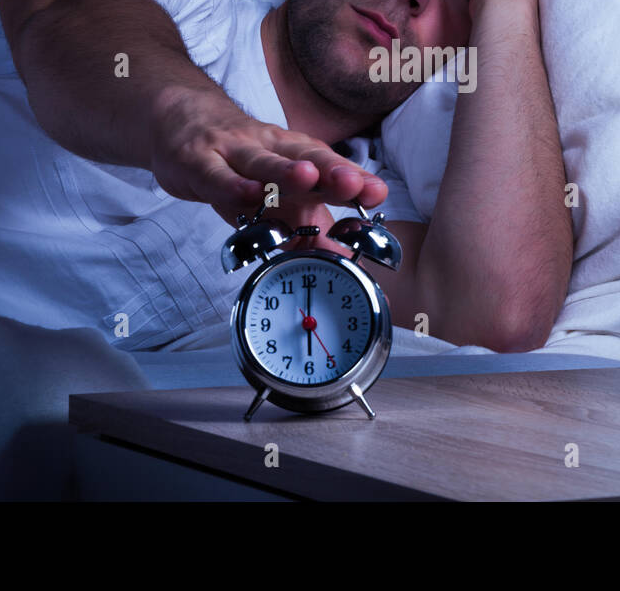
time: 6:00
